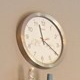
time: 11:19
